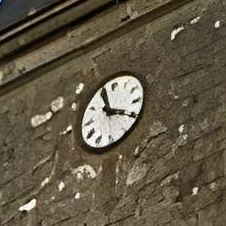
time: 11:19
